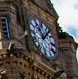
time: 11:07
